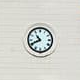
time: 10:41
